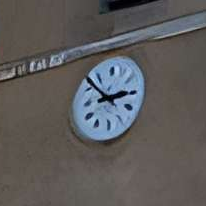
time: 2:52
